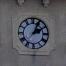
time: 2:04
